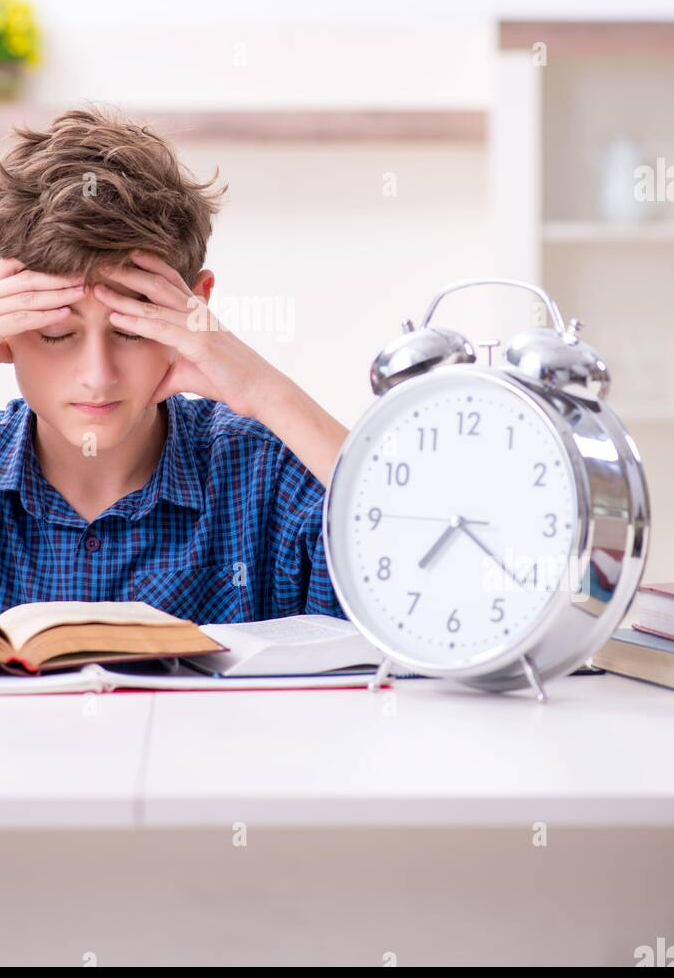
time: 7:21
